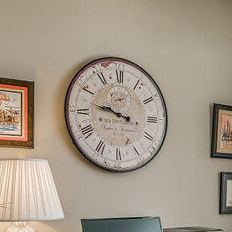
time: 9:47
